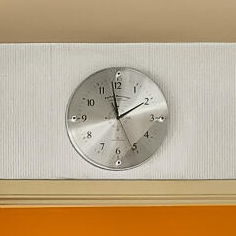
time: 1:58
